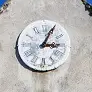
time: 3:04
